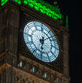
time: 6:08
